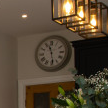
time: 11:28
